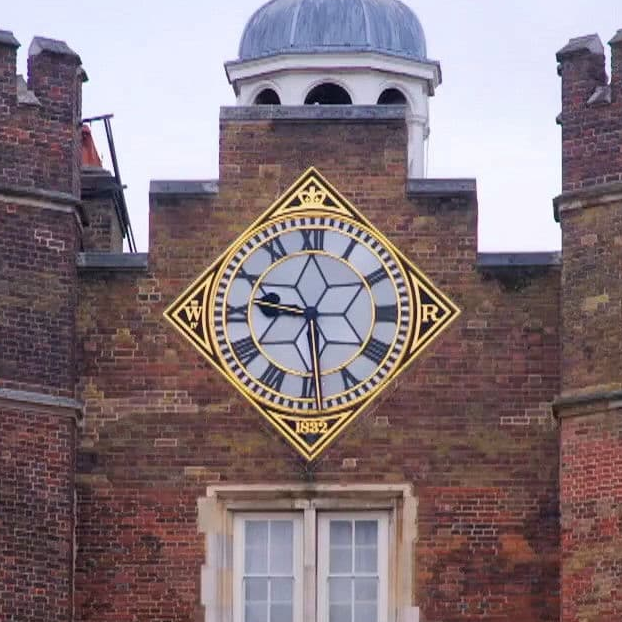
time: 9:28
